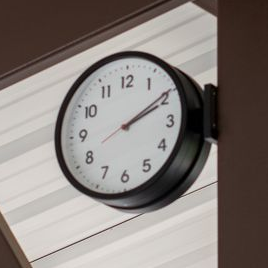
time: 2:09
